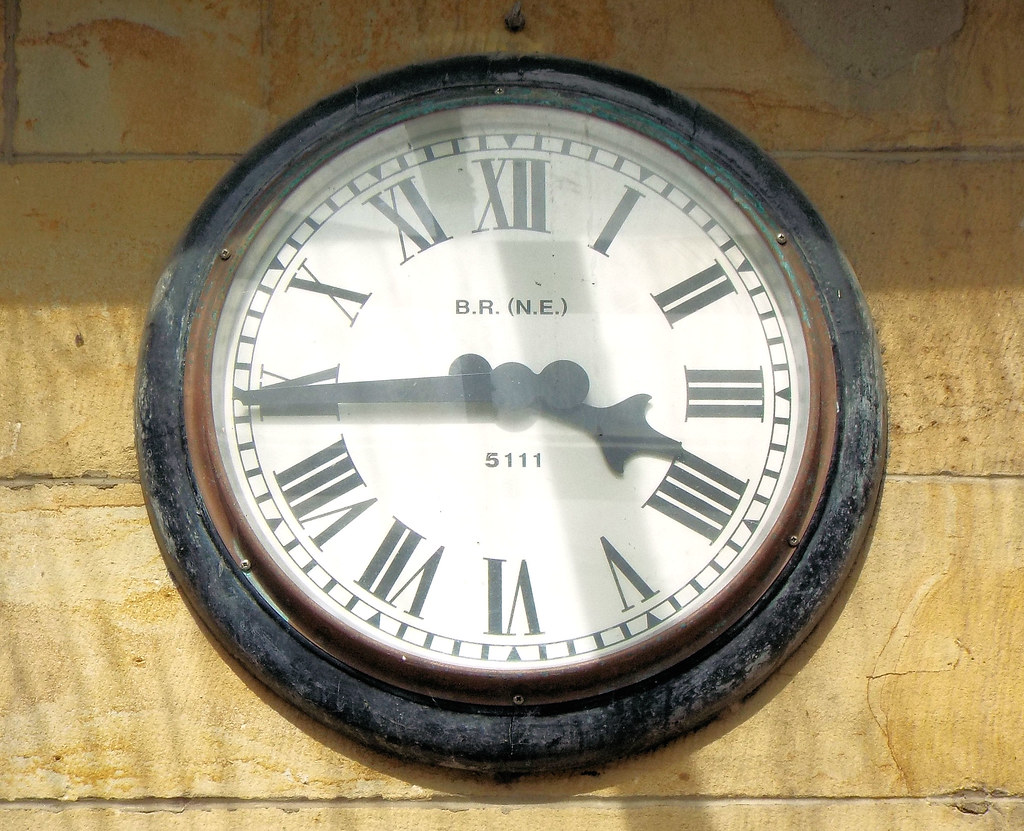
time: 3:44
